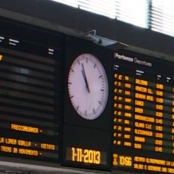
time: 10:56
